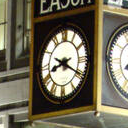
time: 8:19
